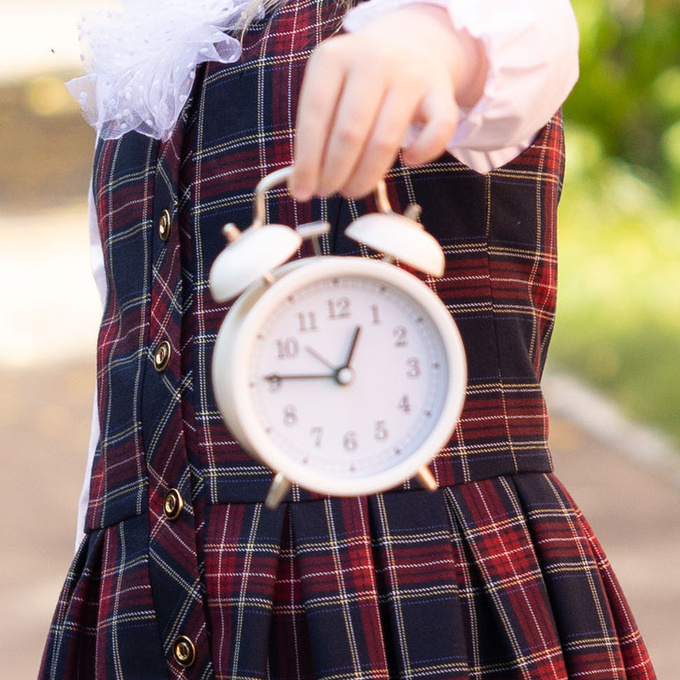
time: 12:45
